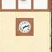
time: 7:11
